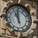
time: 10:59
